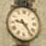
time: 9:23
